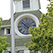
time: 5:52
